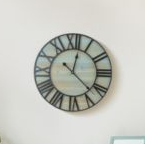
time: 12:22
